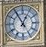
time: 12:55
